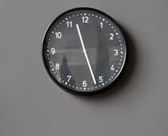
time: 11:26
